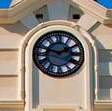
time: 1:47
